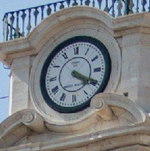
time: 4:19
